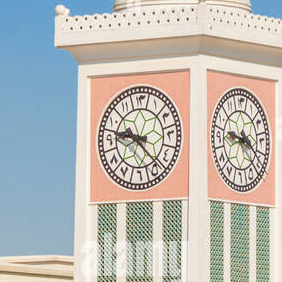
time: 9:22
